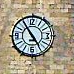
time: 4:54
